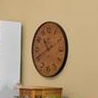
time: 10:40
